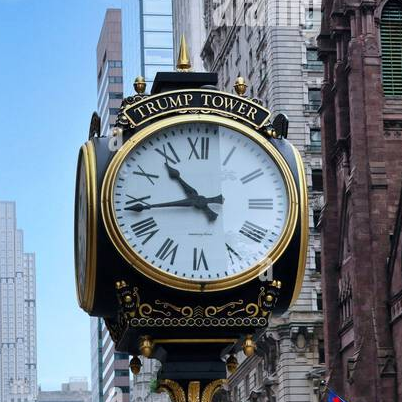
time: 10:43
